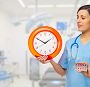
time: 1:49
